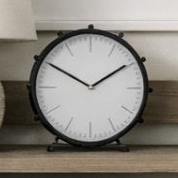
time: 1:50
